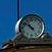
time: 10:51
